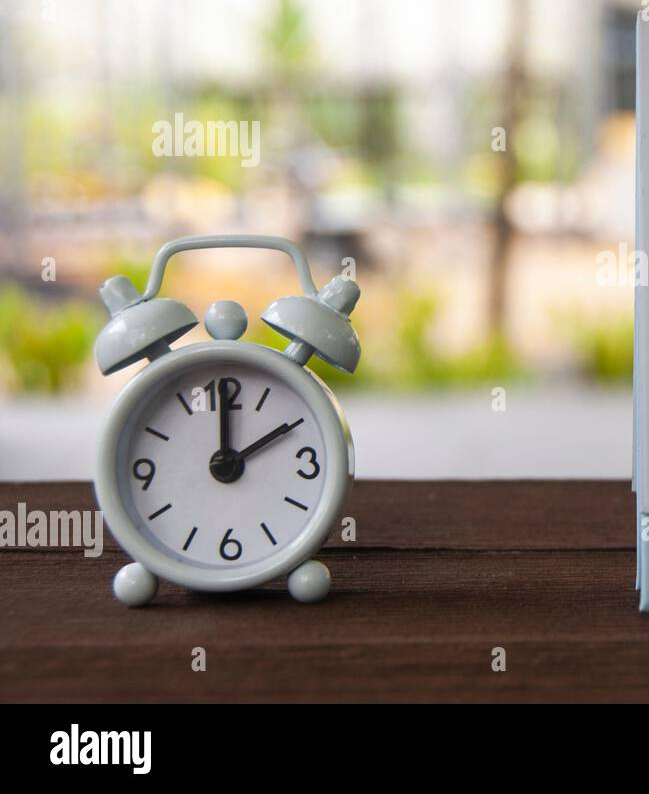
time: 2:00
